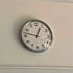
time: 12:47
